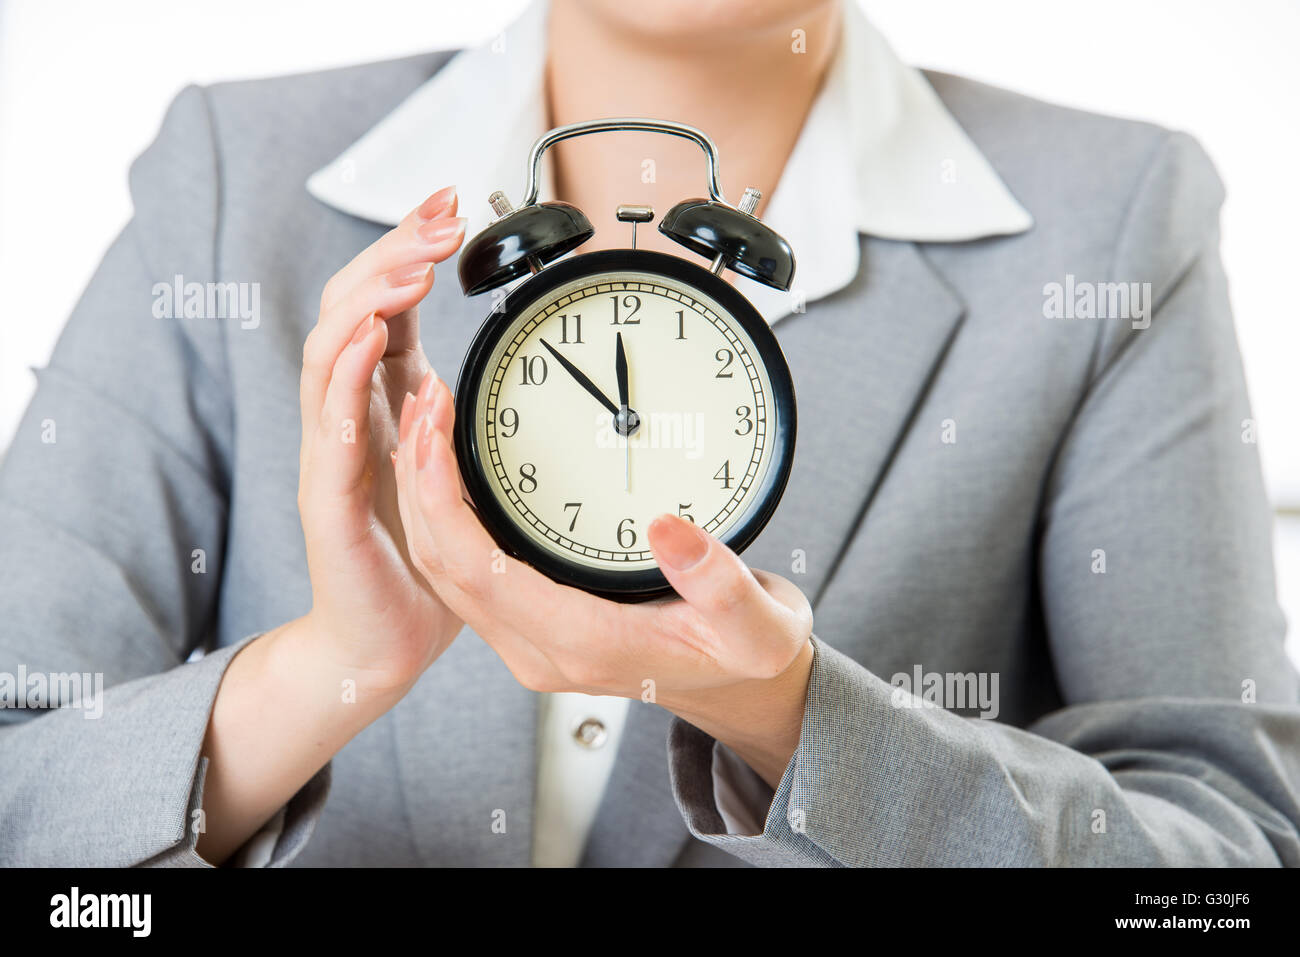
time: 11:52
